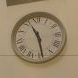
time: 11:29
